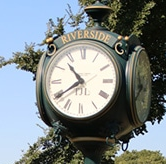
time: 10:39
